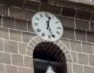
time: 12:26
